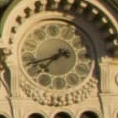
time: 7:41
